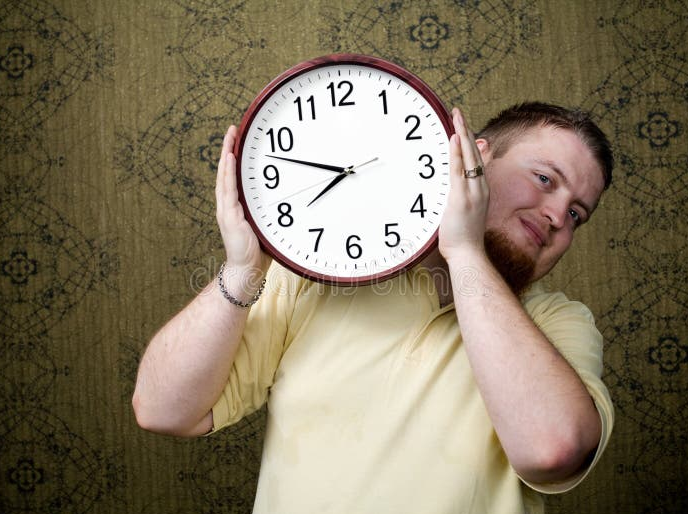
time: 7:47
